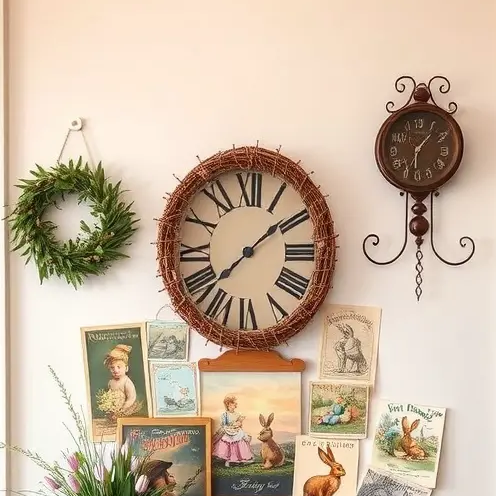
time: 1:37
